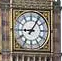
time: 9:05
